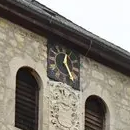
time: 12:24
